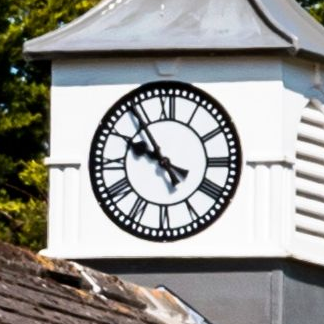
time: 9:54
